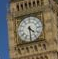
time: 4:29
